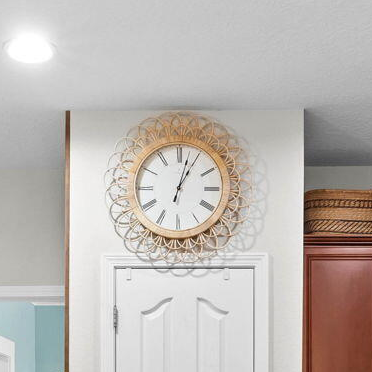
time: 1:02
